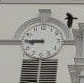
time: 8:45
